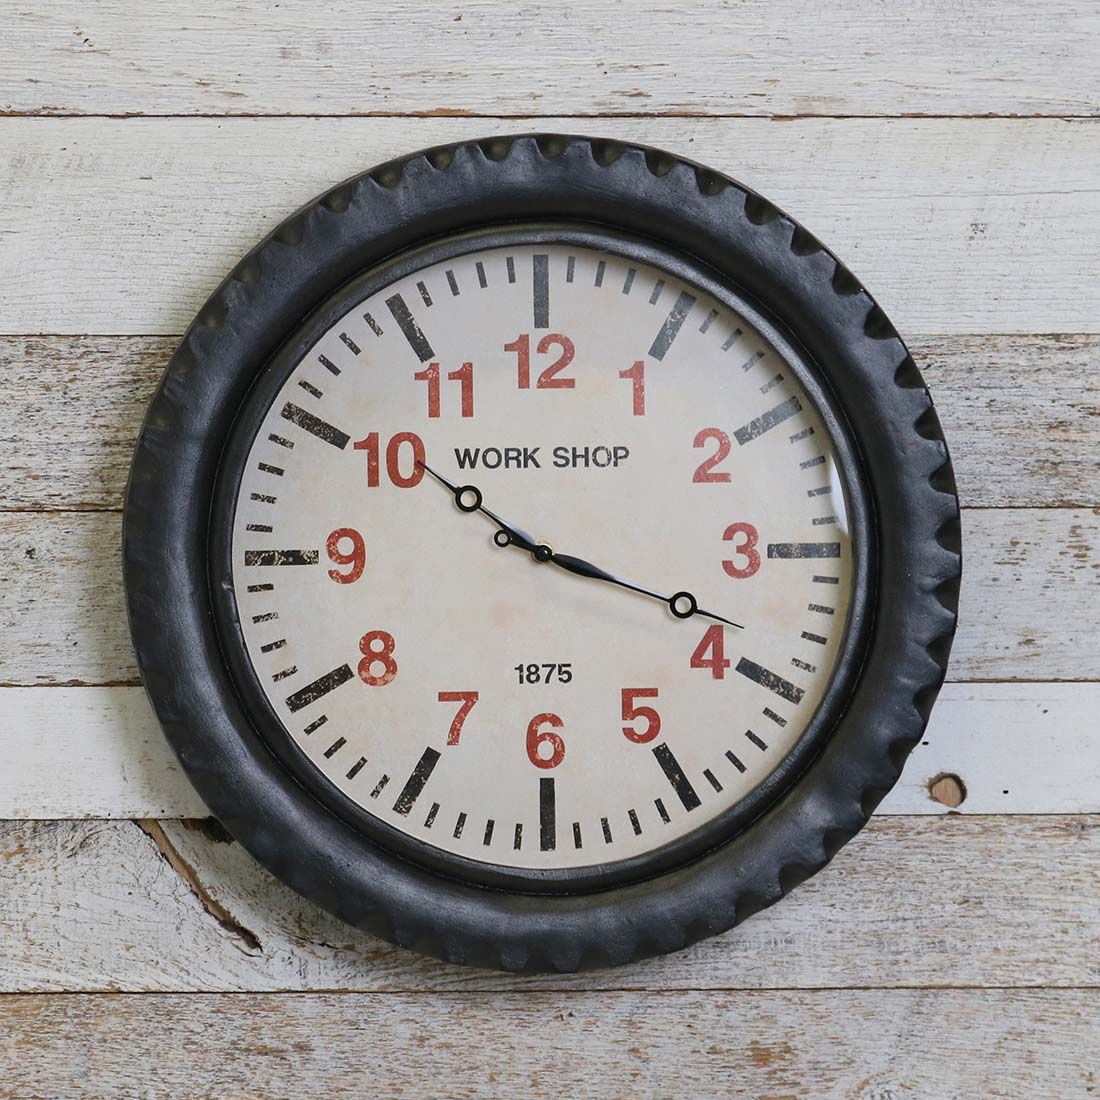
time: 10:18
